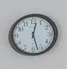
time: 12:27
